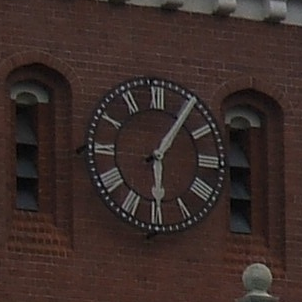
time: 6:05
